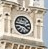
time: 3:45
